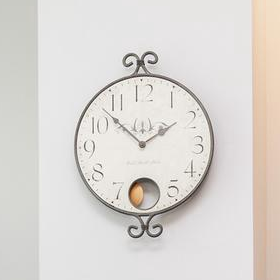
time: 1:52
